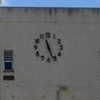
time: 11:26
